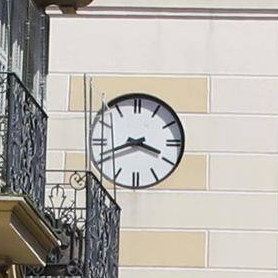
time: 3:41
